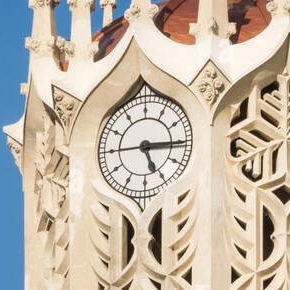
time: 5:15
